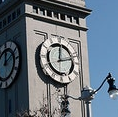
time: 12:12
